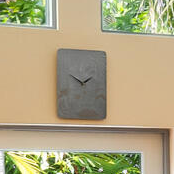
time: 1:49
